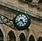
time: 4:40
